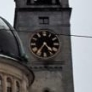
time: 4:35
